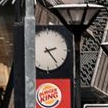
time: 2:23
